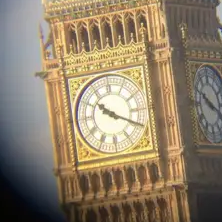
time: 10:19
